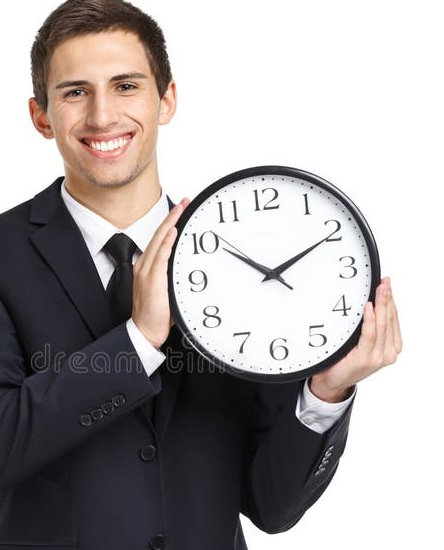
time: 10:10
